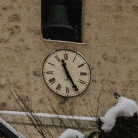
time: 11:25
